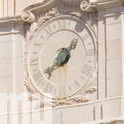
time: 8:07
